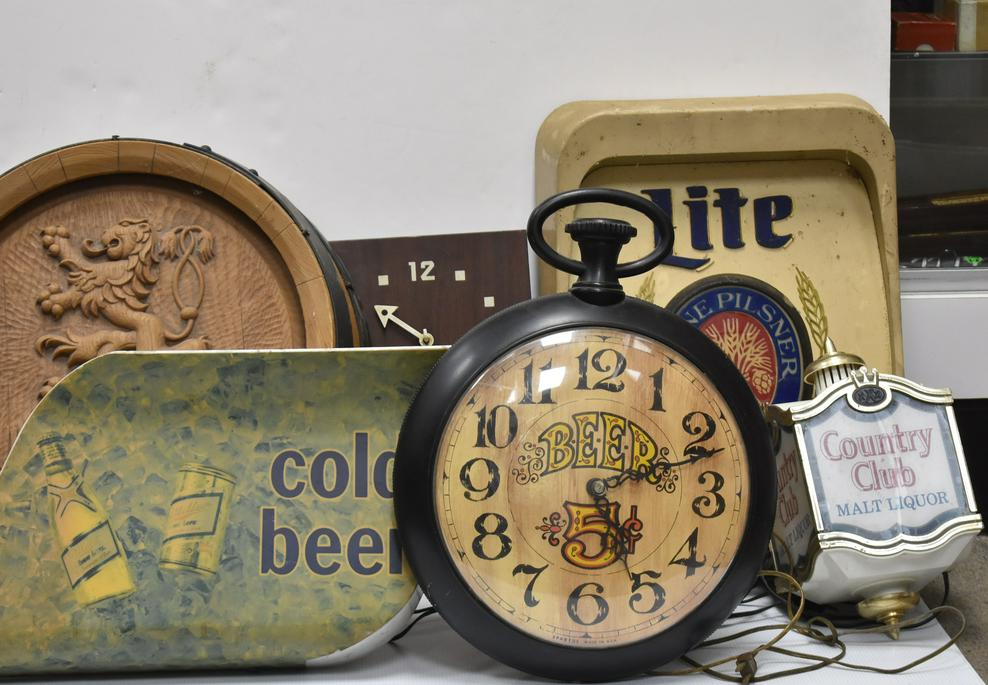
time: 5:11
